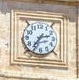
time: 2:36
